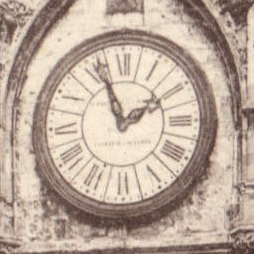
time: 1:56
